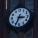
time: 3:34
